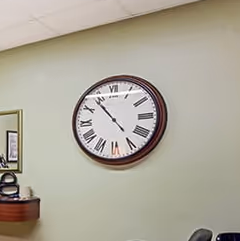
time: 4:53
